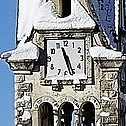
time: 11:26
